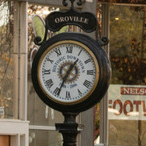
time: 1:34
